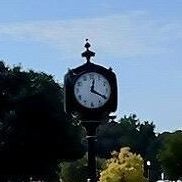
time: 12:20
